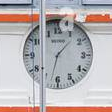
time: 1:32
